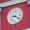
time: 9:22
